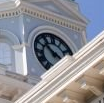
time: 3:51
